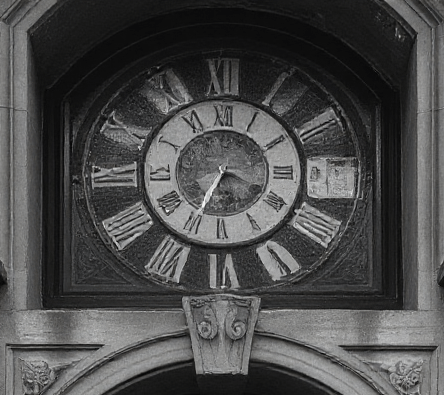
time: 3:34
